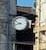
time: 9:42
